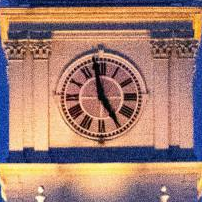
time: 4:57
